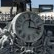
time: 12:16
